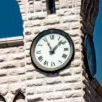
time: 11:07
